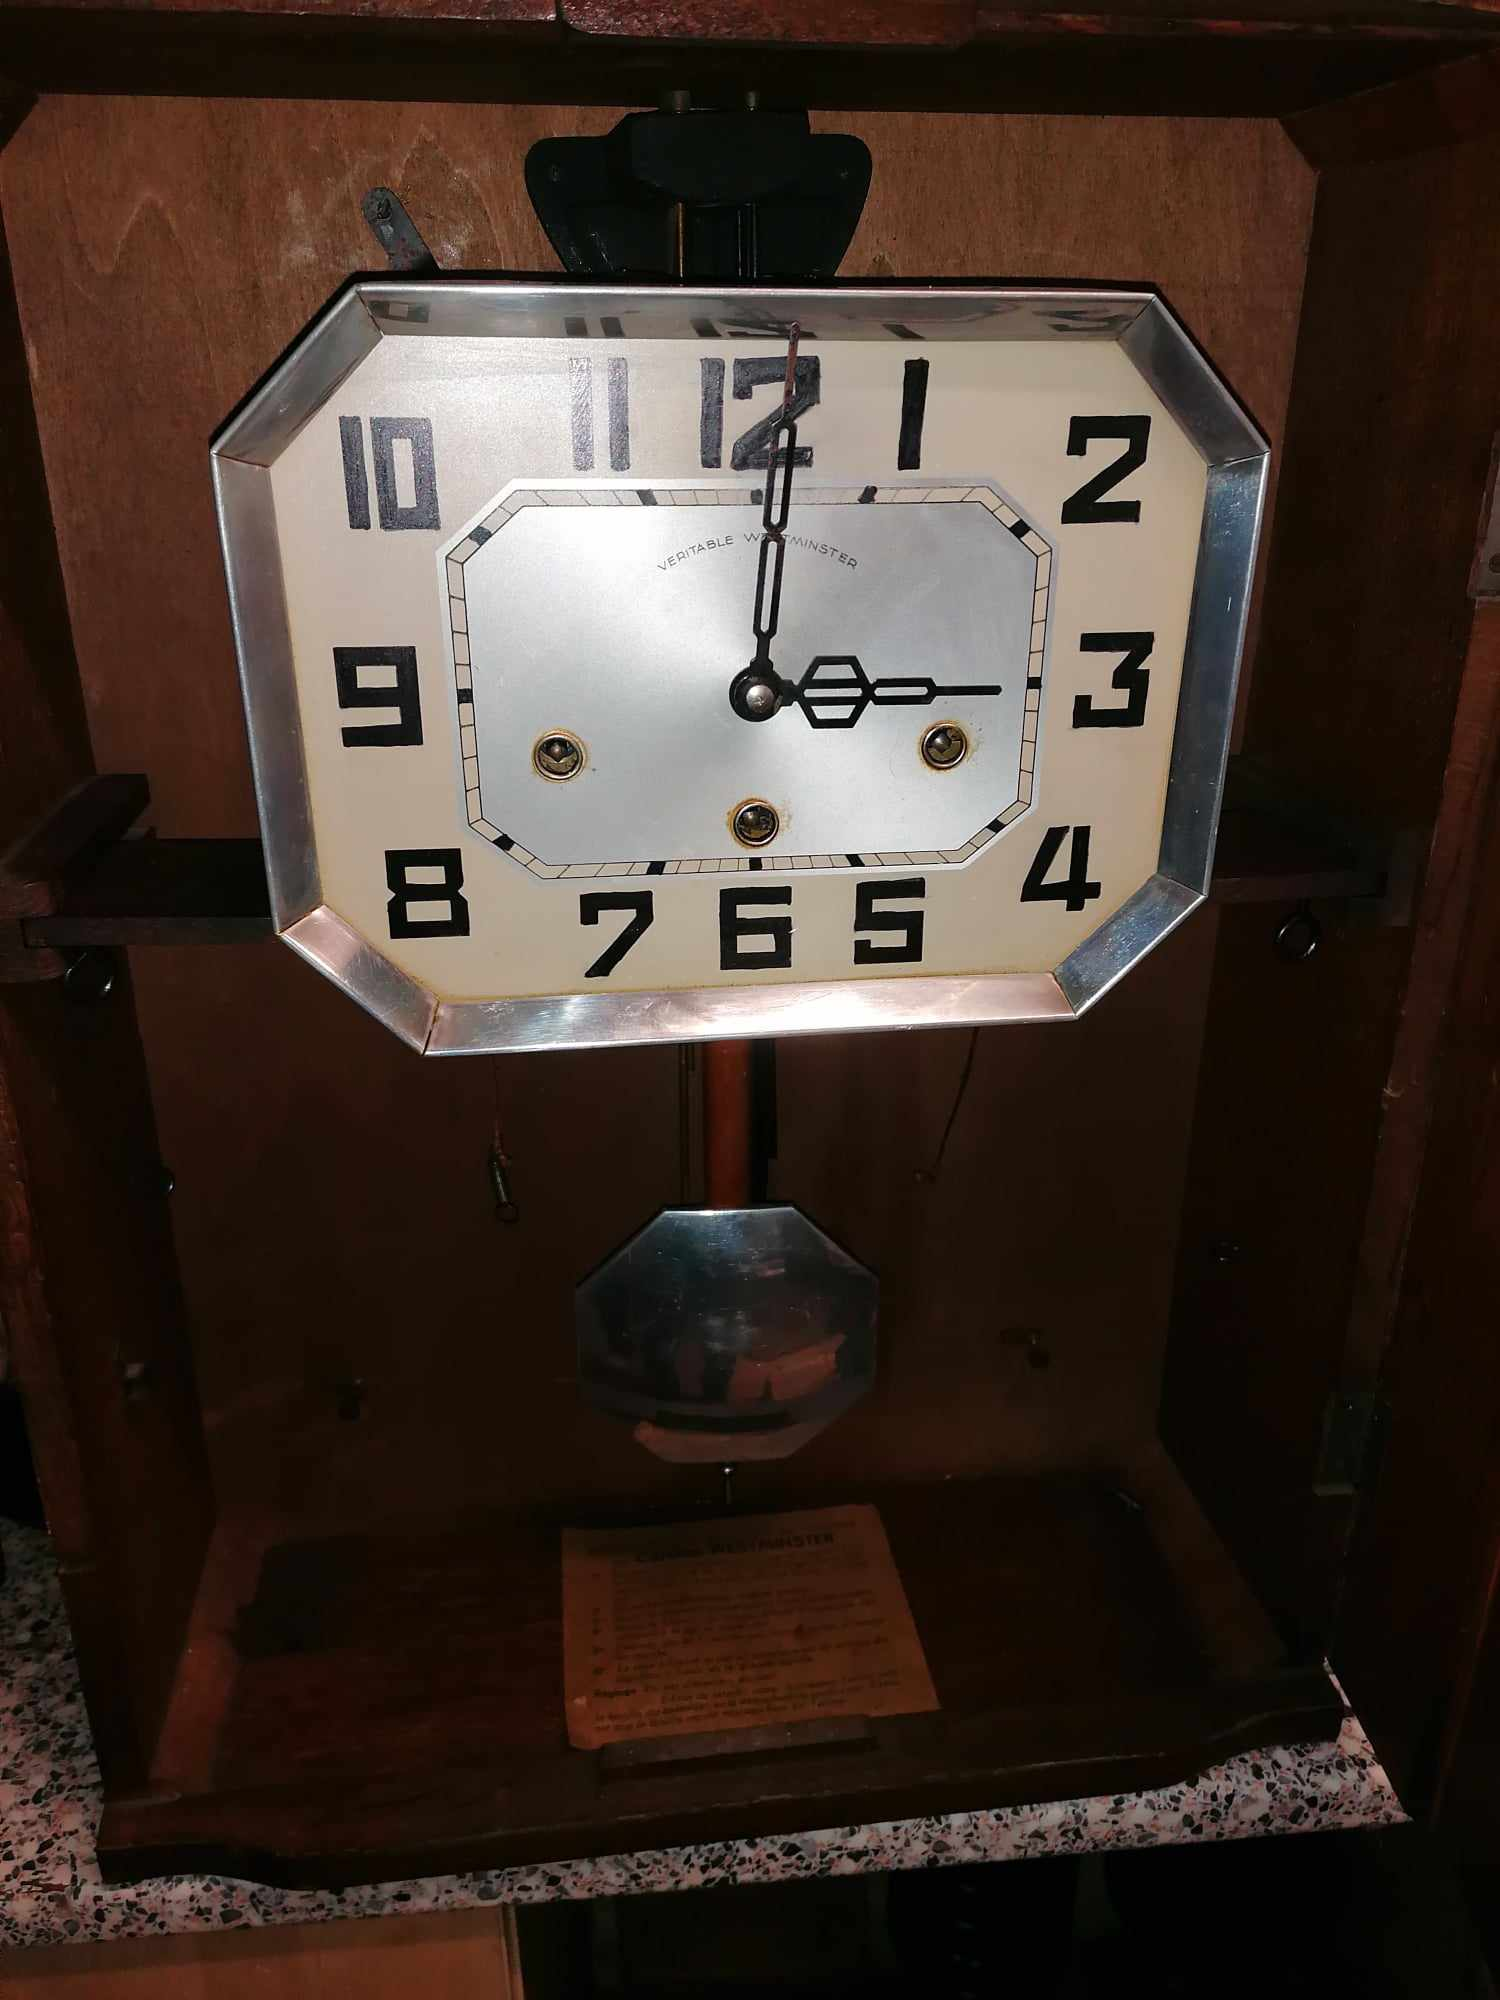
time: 3:01
